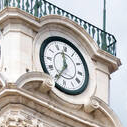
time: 11:34
